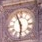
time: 5:56
